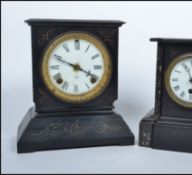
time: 3:49
